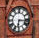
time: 6:16
